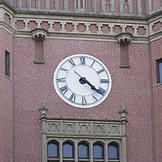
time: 4:21
